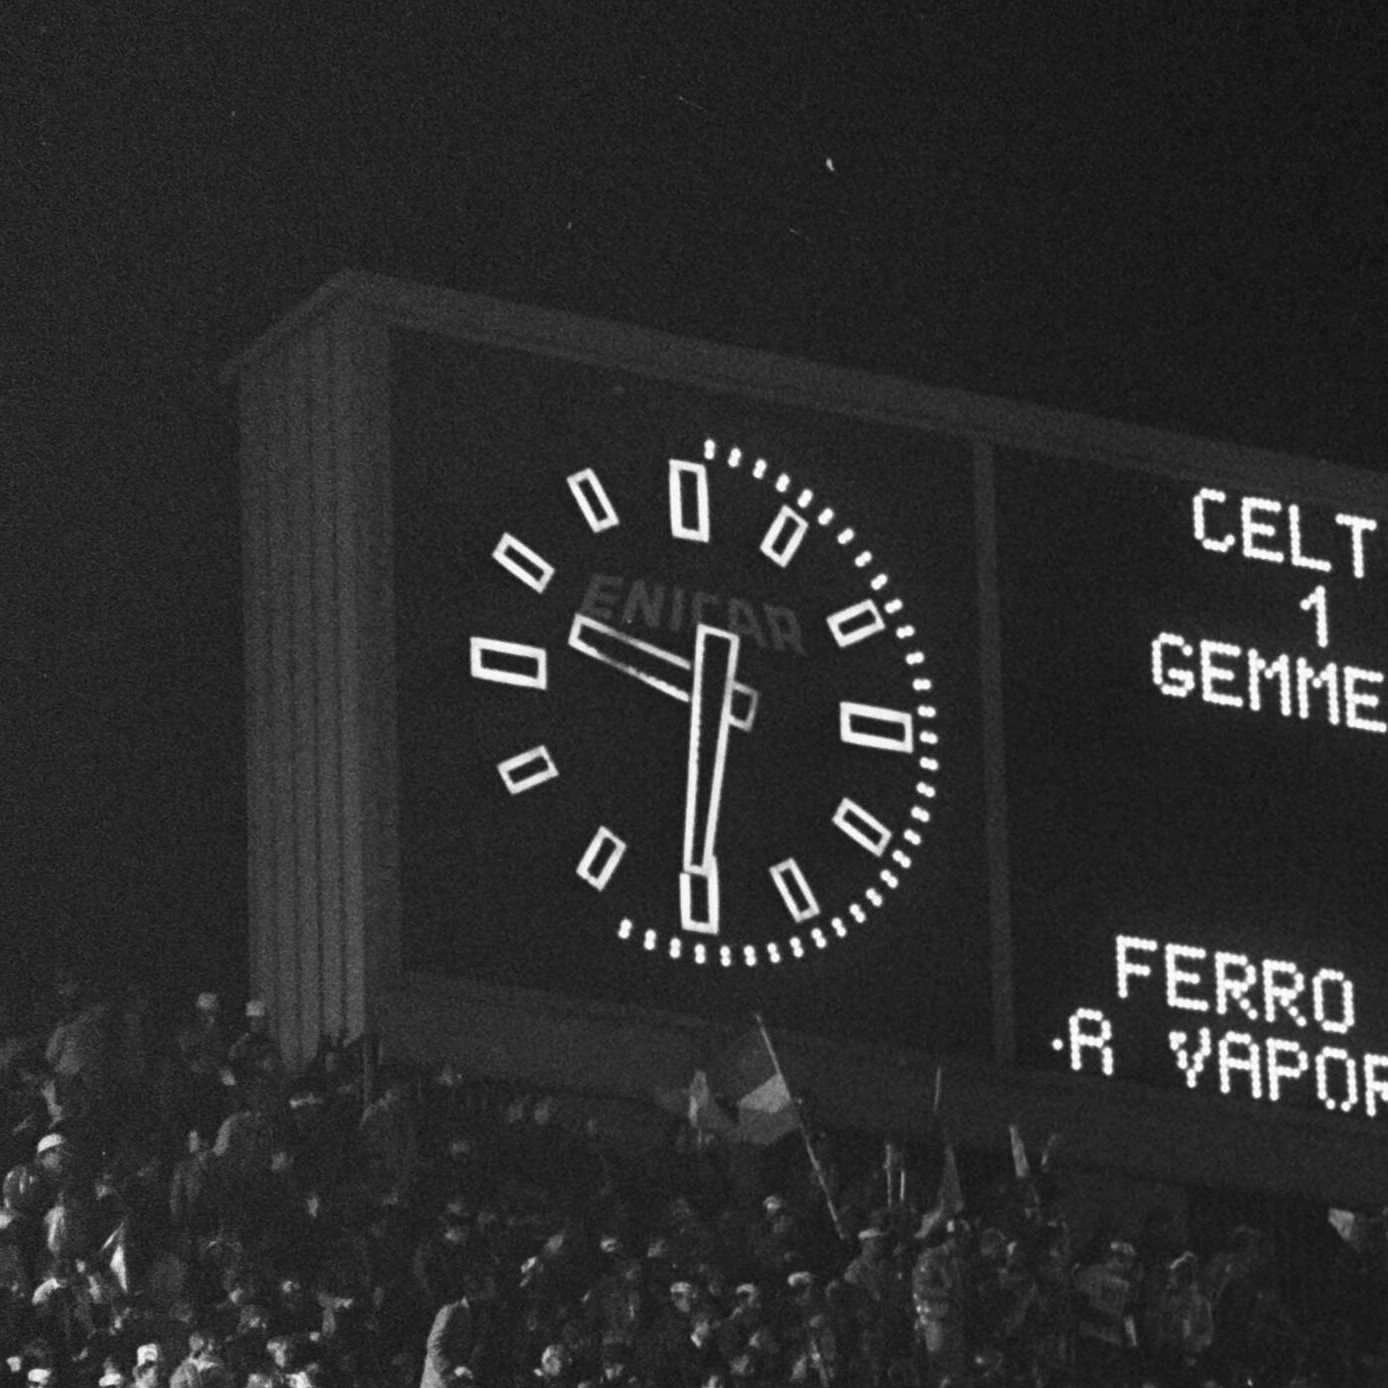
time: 9:31
